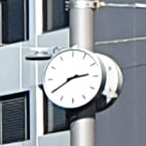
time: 2:39
